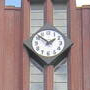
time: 1:51
